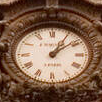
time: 1:08
